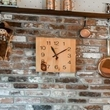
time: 11:09
